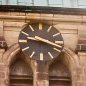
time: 9:18
